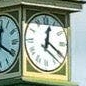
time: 12:20
